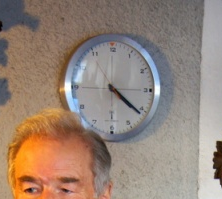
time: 4:21
